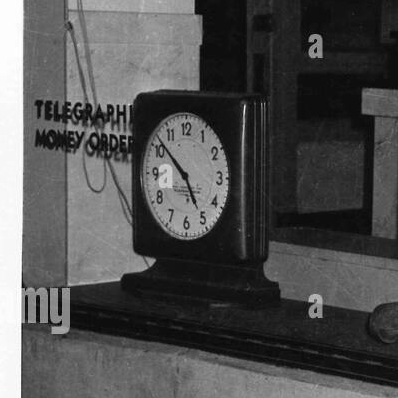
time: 4:51
